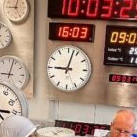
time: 9:02
